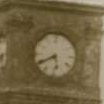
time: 5:40
